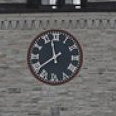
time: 11:38
